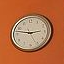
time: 2:47
